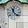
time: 11:21
